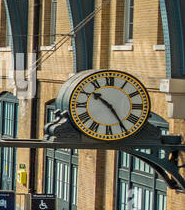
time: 10:24
